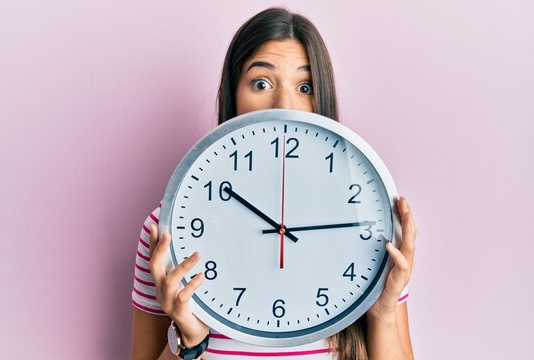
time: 10:13
